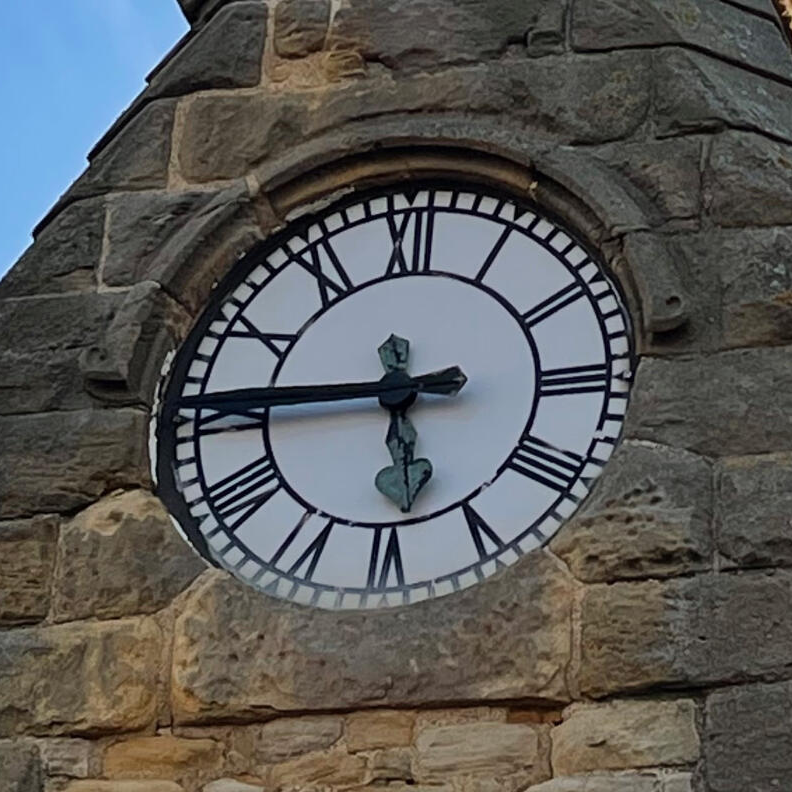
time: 5:45
